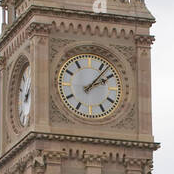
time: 2:07
